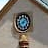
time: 8:07
